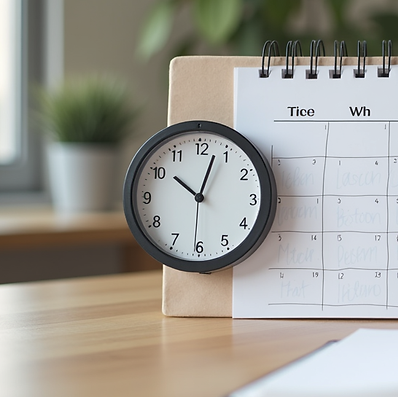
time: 10:03
